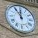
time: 11:54
